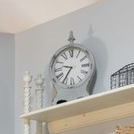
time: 9:35
